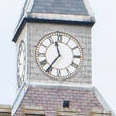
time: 11:36
